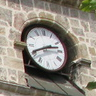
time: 2:41
